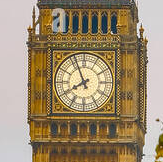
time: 7:55
